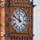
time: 11:49
